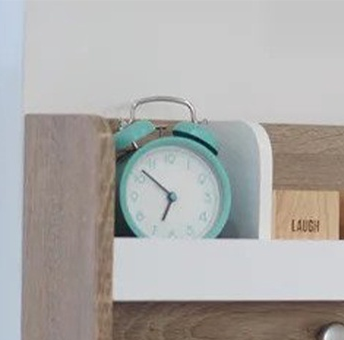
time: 6:52
